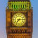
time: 7:14
